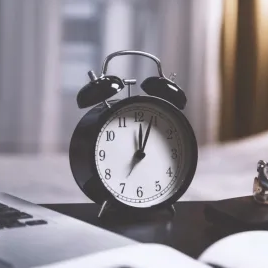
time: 12:03
